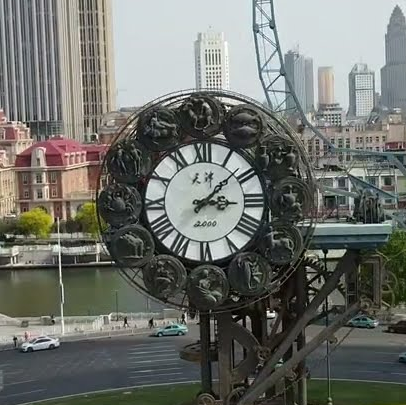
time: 3:07
